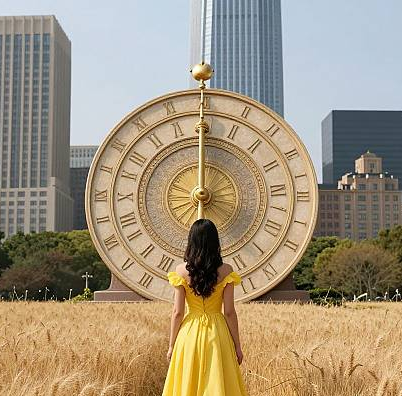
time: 5:59
